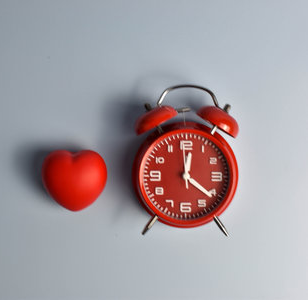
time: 12:21
